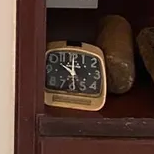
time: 10:00
